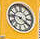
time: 9:20
